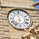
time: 11:36
